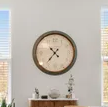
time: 10:37
